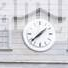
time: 1:38
